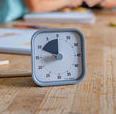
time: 8:49
